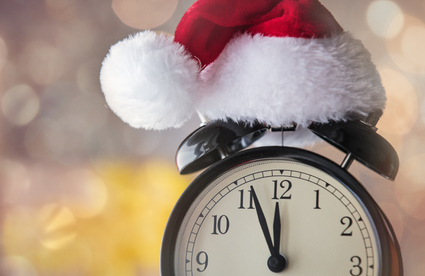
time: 11:56
